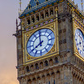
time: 7:59
